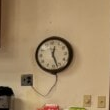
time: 12:27
